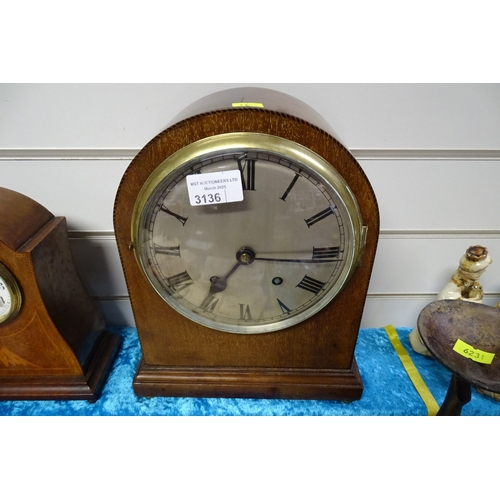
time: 7:15
